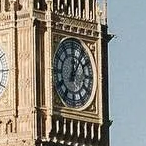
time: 12:06
